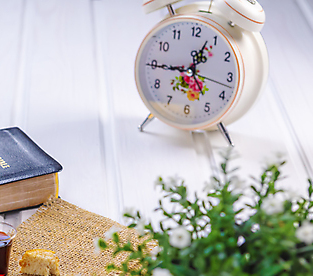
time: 12:44
